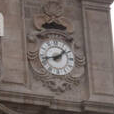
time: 1:42
